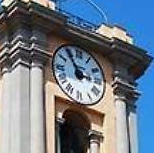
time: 2:53
